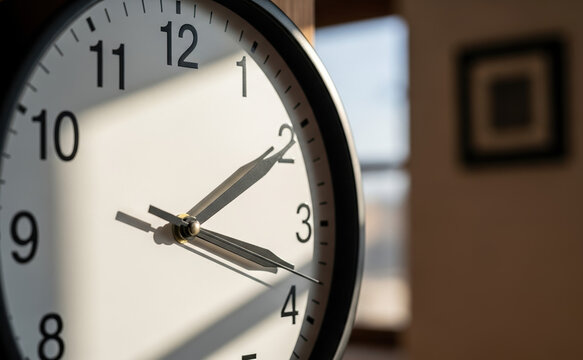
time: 2:18
